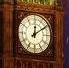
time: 12:09
